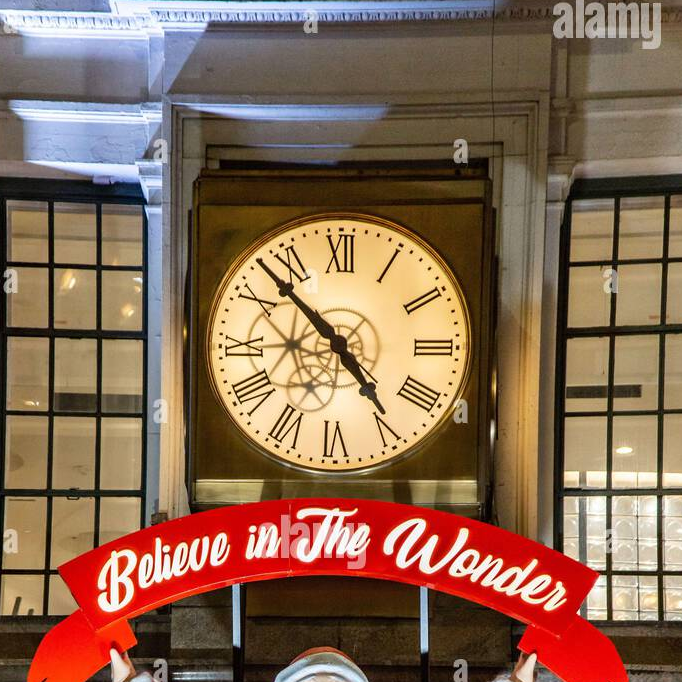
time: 4:52
